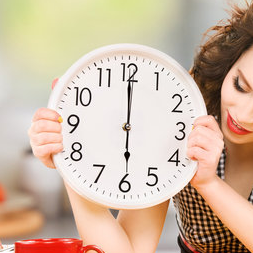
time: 6:00
